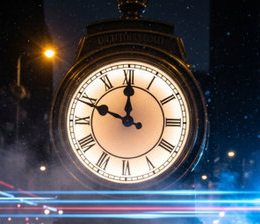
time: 11:48
